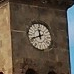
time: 11:41
